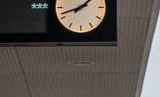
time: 1:41
